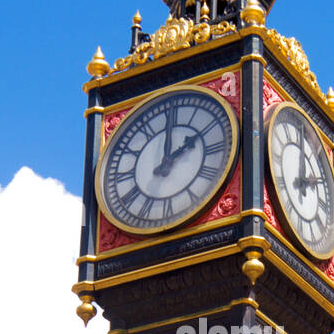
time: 2:00
